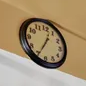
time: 12:34
